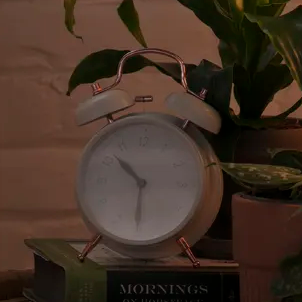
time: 10:30
